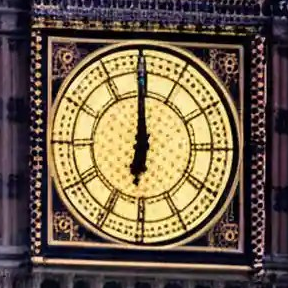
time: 5:59
